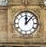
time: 12:07
